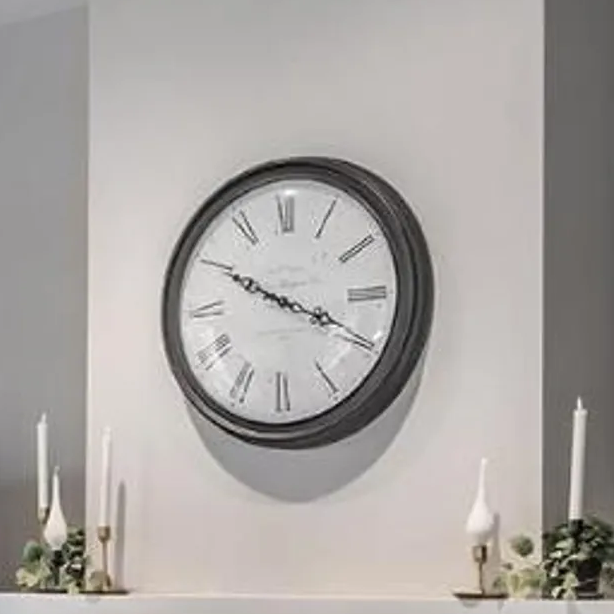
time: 3:49
